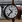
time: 10:37
